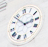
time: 2:53
